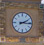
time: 2:15
